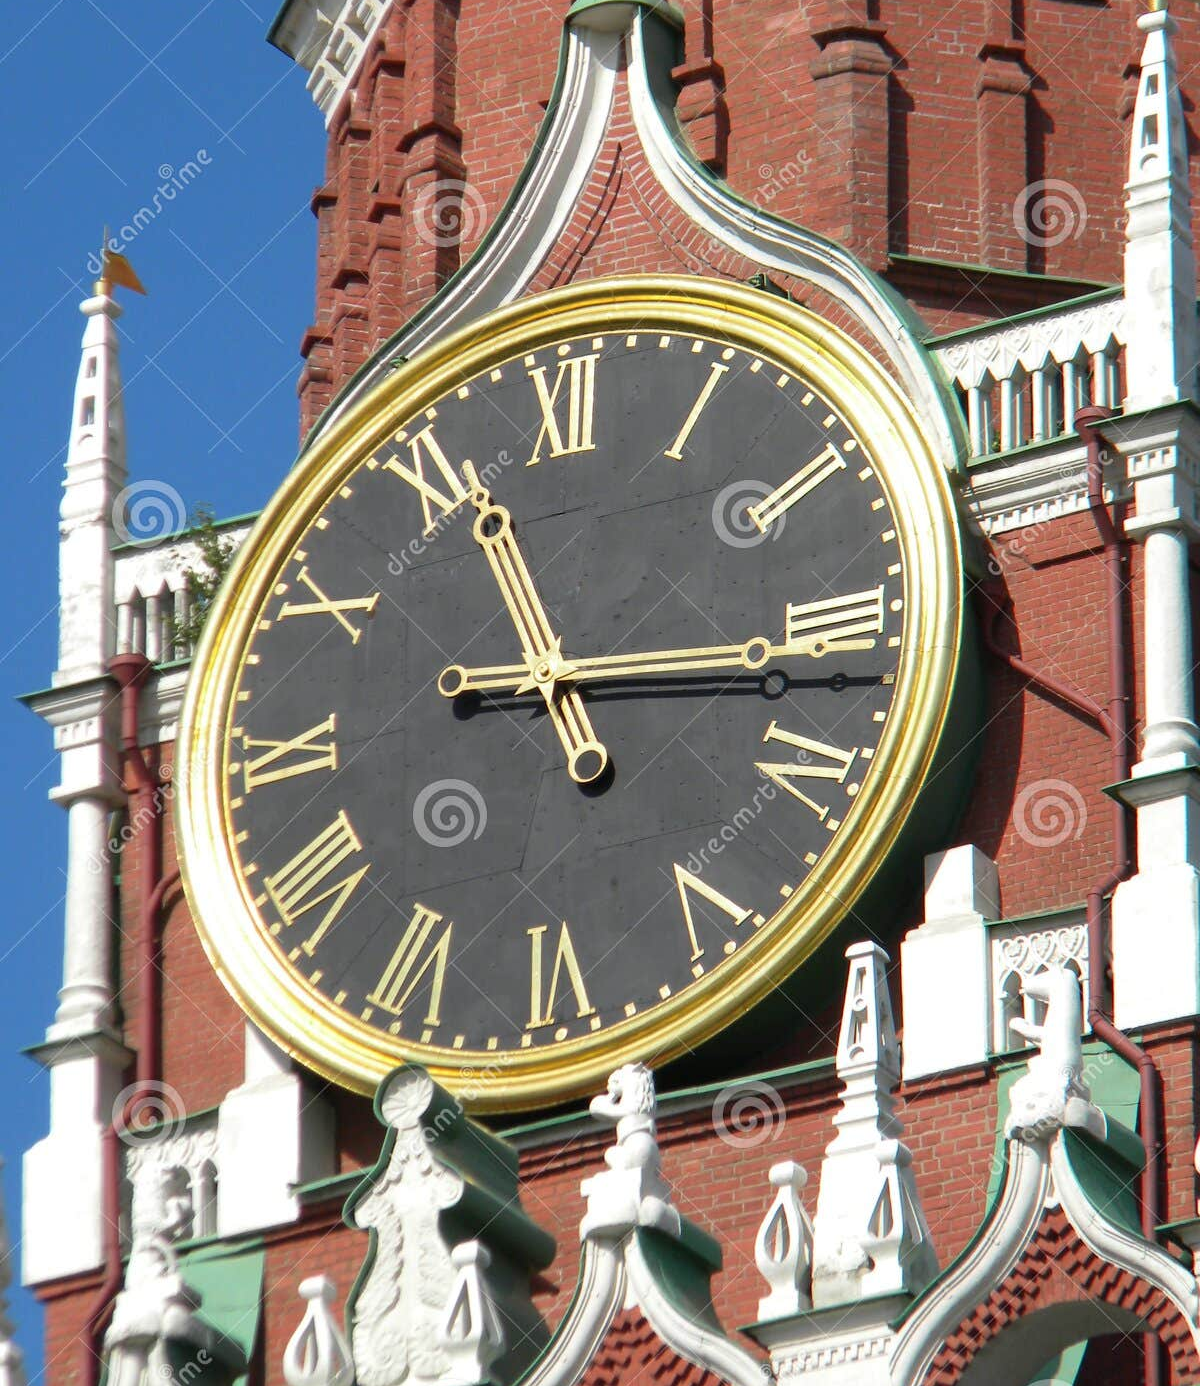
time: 11:16
